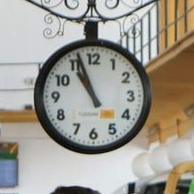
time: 10:56
